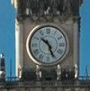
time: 10:26
